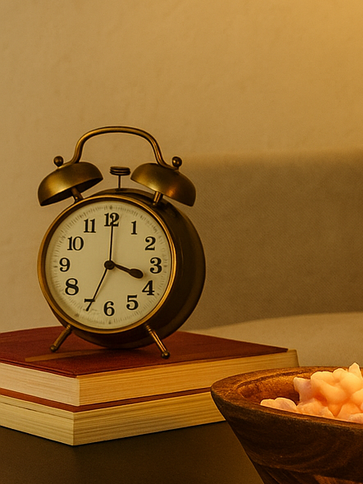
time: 3:34
